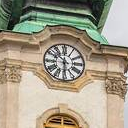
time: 5:51
